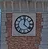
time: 12:22
